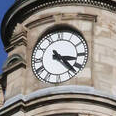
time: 3:22
